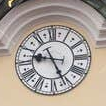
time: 9:25
